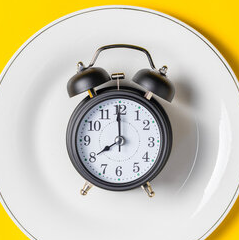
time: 7:59
